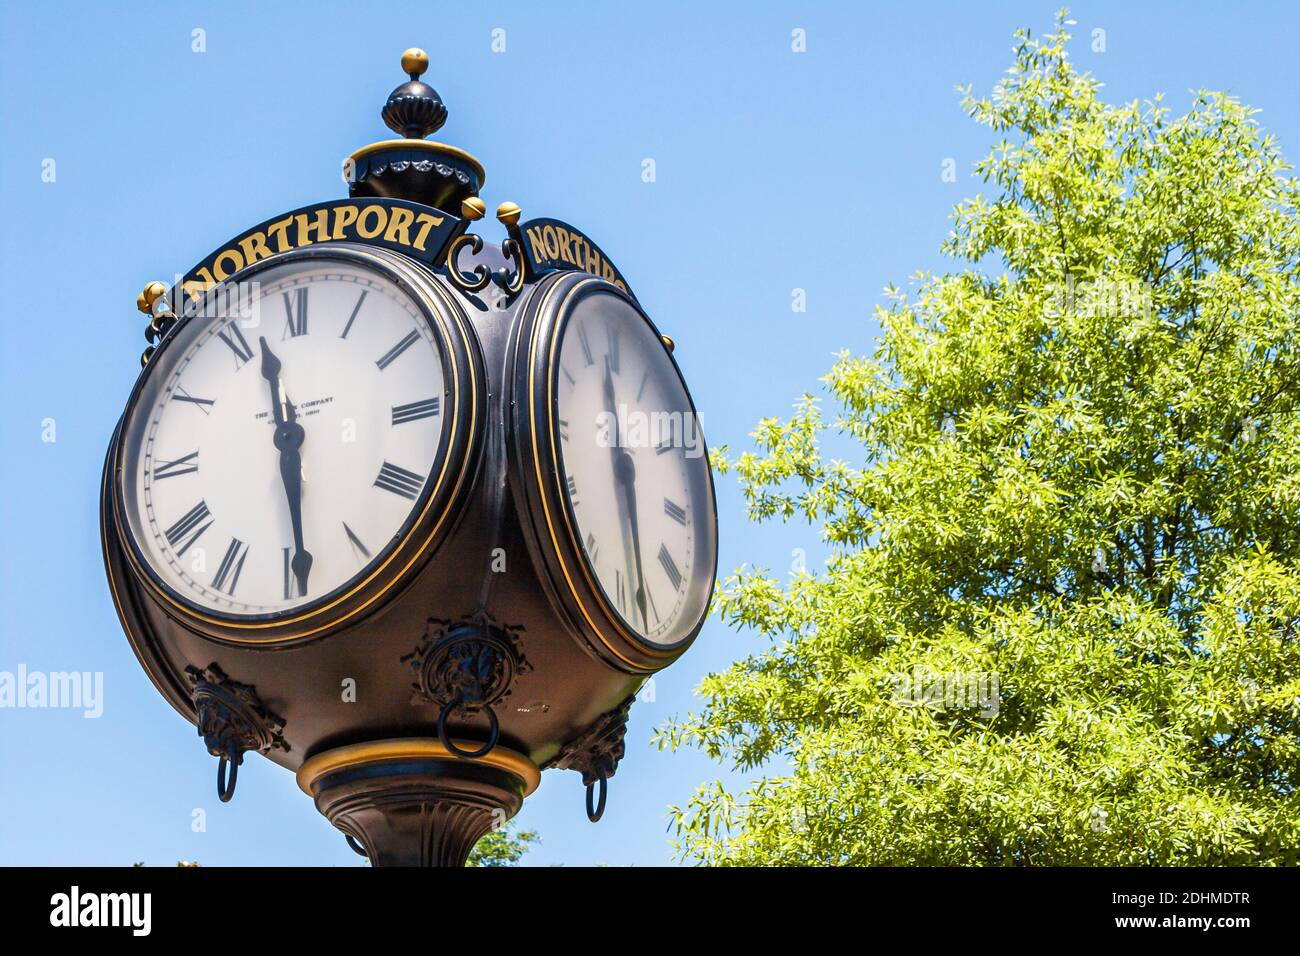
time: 11:28
